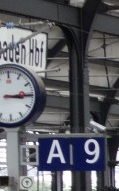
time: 3:14
